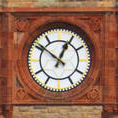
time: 12:51
